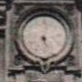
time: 12:26
